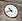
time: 10:41
